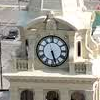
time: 5:27
